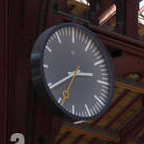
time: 2:39
